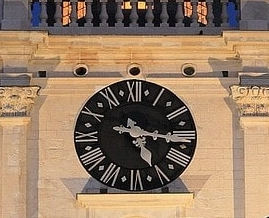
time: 5:15
